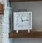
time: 11:13
